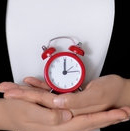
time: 12:14
